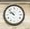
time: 9:52
